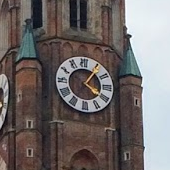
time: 4:06
